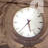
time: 5:37
